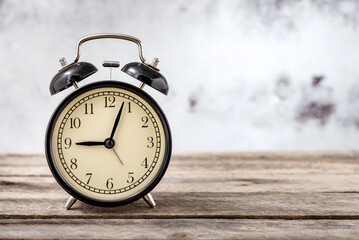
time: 9:03
